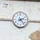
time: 2:23
